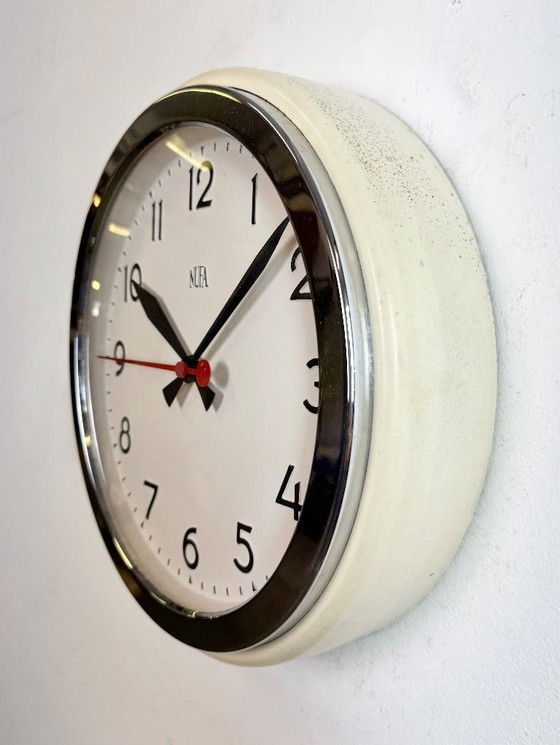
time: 10:07
